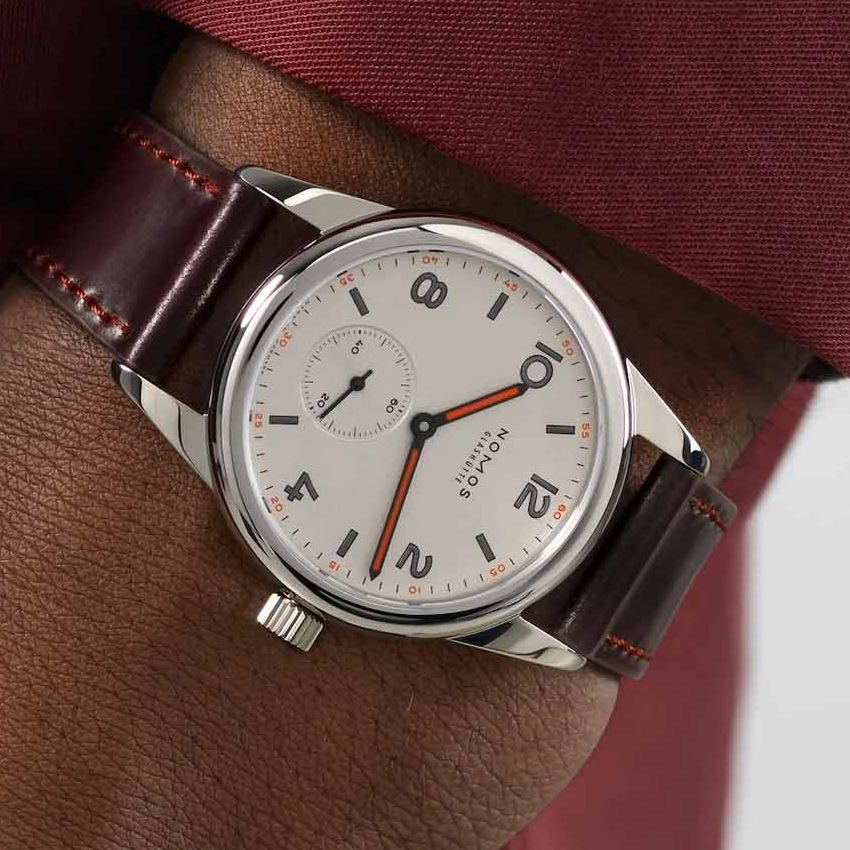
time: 2:32
